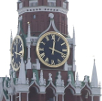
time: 12:18
